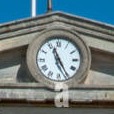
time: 11:25
